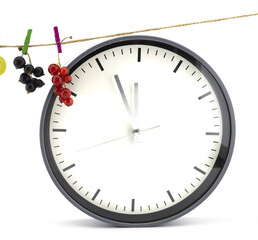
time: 11:56
